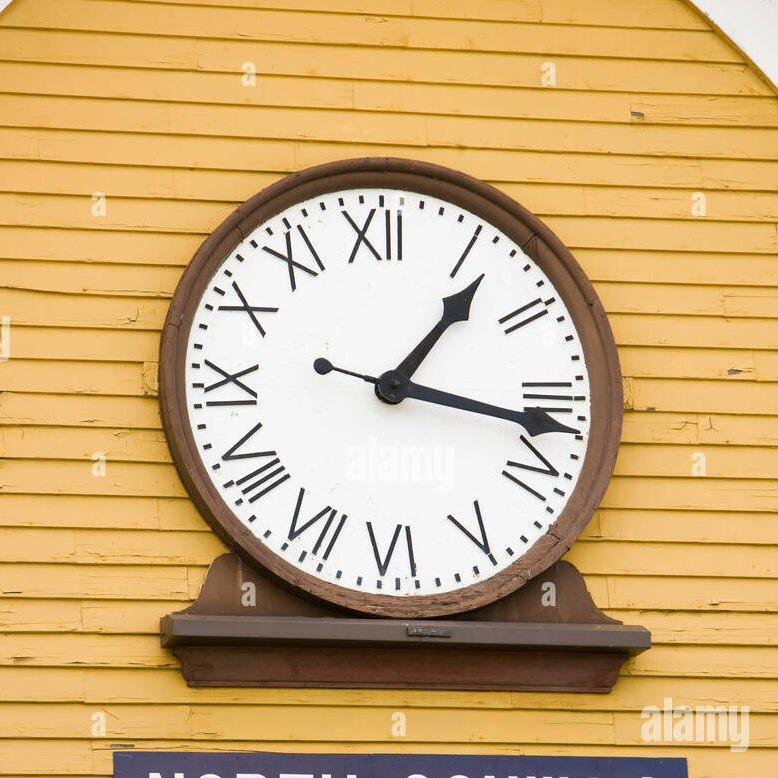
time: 1:16
